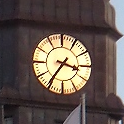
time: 3:35
